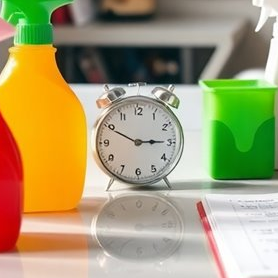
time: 2:49
